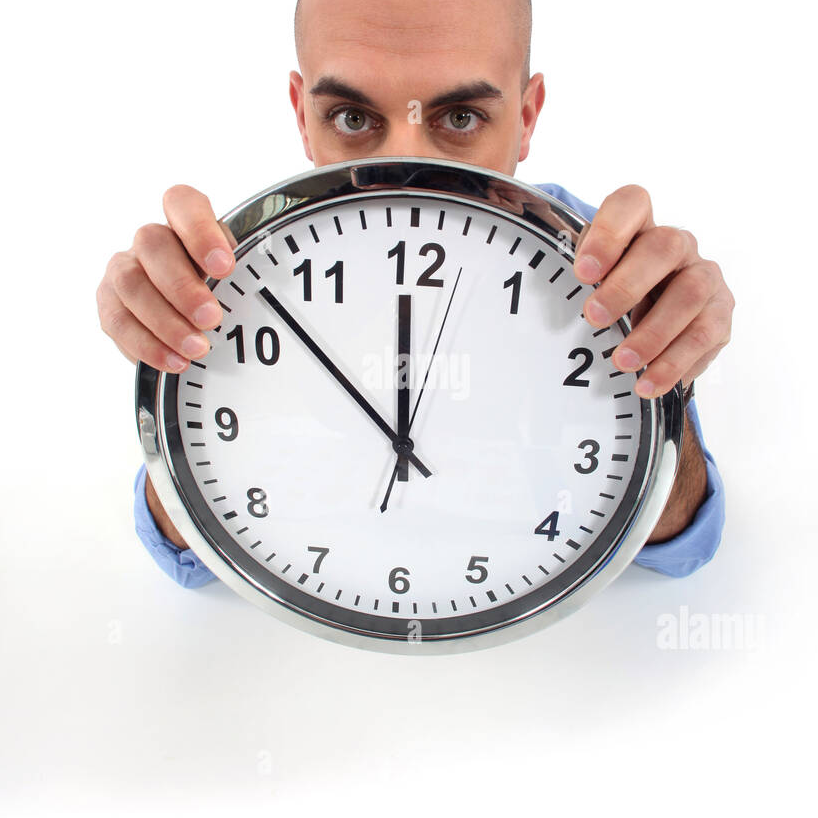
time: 11:52
